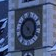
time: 4:52
